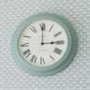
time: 2:59
